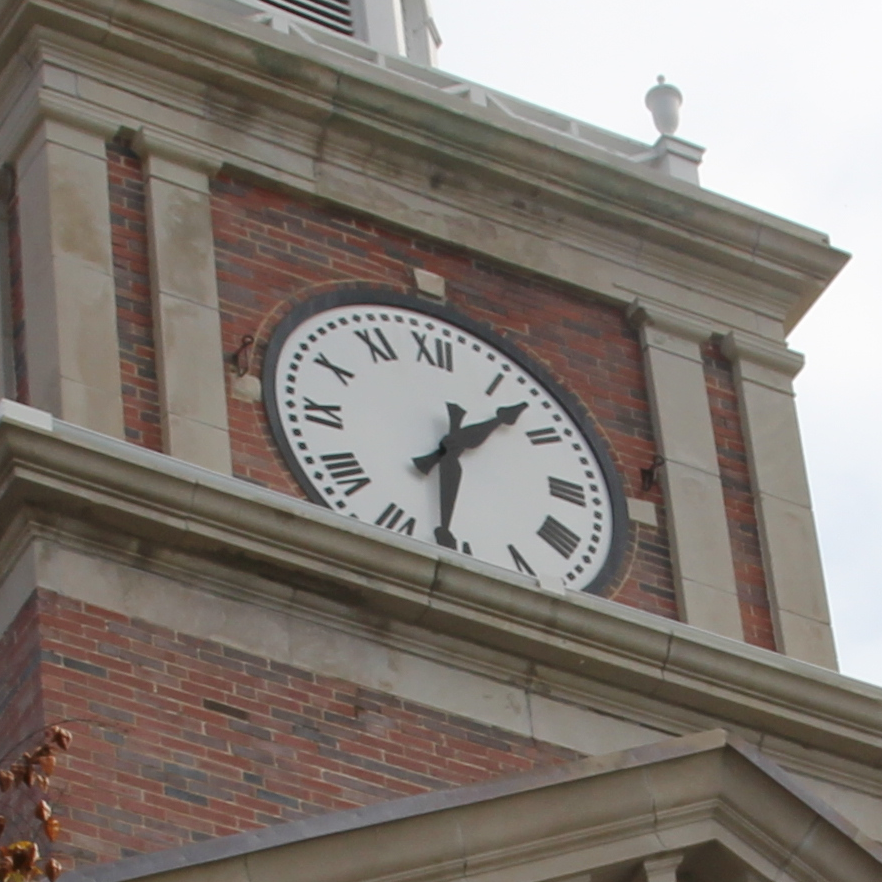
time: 1:31
